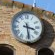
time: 3:28
